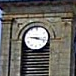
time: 9:17
